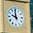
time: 9:59
